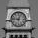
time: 12:46
